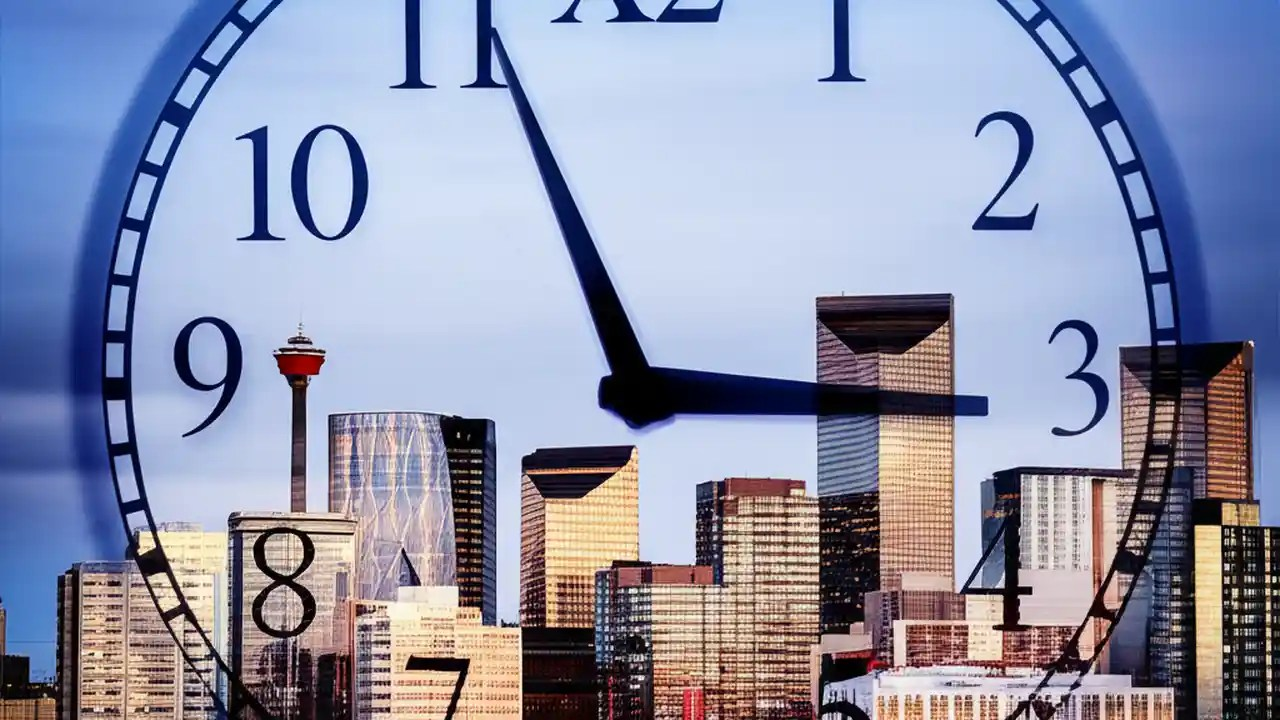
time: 2:56
